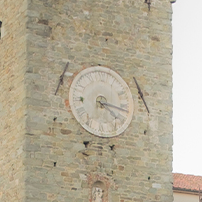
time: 4:16
